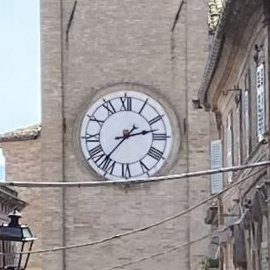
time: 2:36
